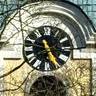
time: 11:25
